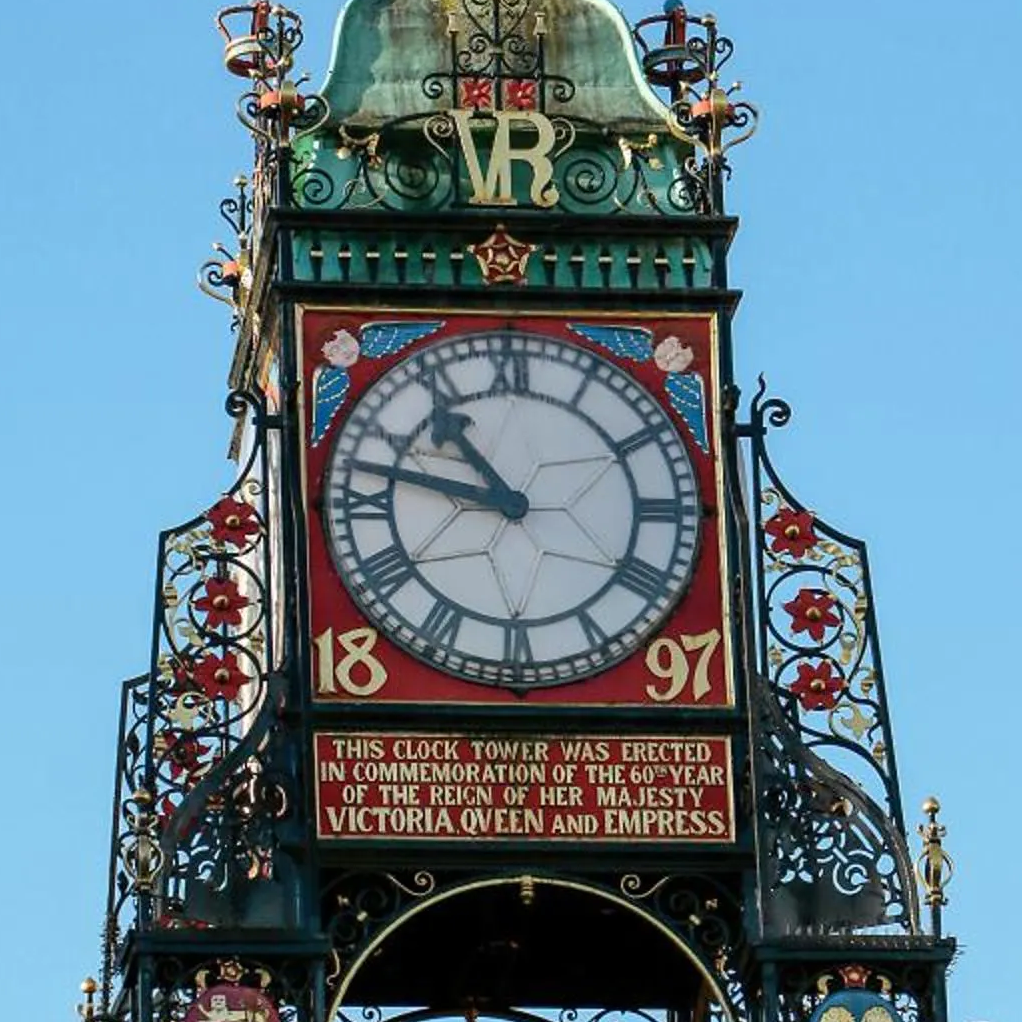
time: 10:47
